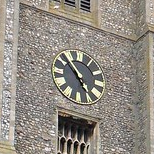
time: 4:52
